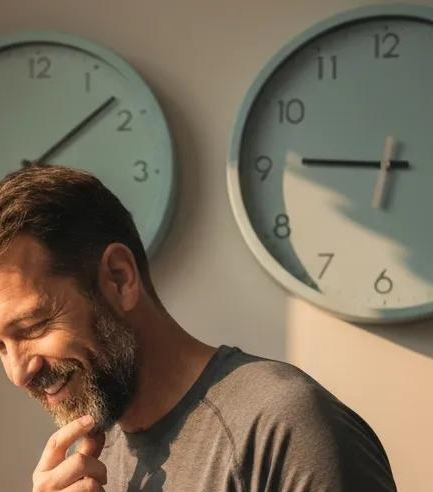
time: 6:45
